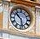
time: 10:28
